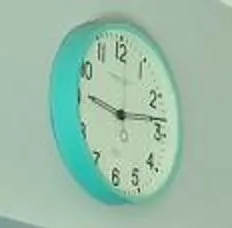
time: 9:13
